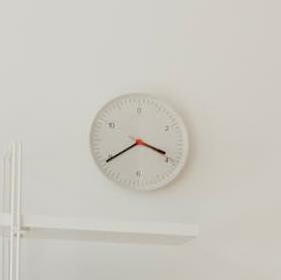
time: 3:39
